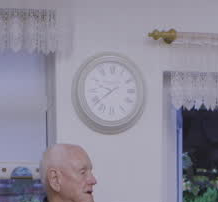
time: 9:38
